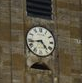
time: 4:42
